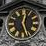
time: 12:26
